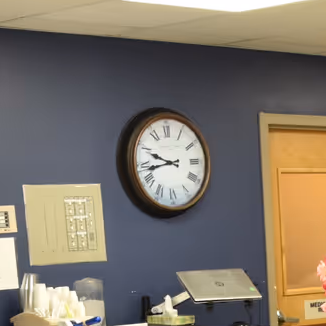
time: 9:43
